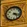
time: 4:17
